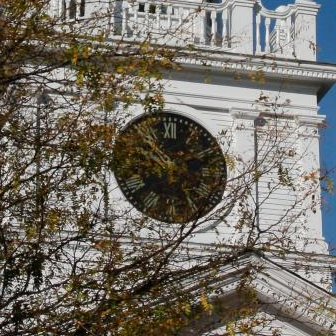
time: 9:53
